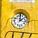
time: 2:00
